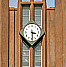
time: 3:29
